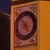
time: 4:52
